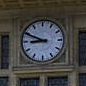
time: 8:49
